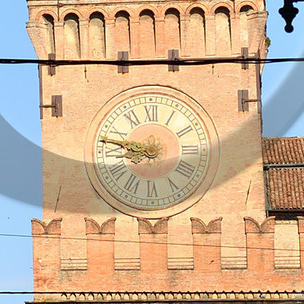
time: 8:47
